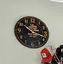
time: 10:17
